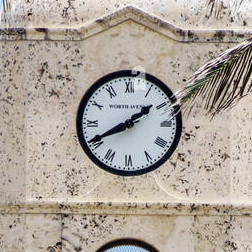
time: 1:40
